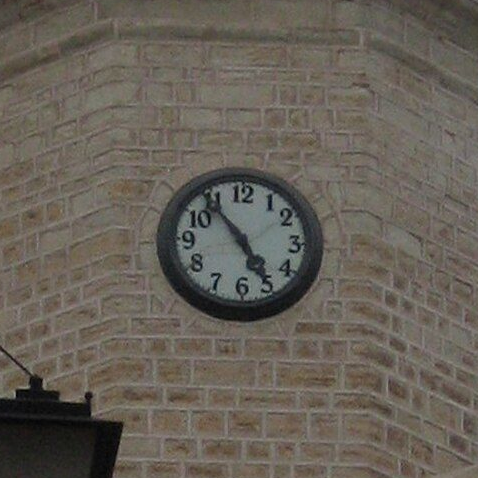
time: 4:54
